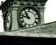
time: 10:47
